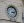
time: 3:12
